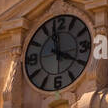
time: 3:58
